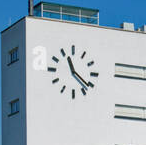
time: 11:21
